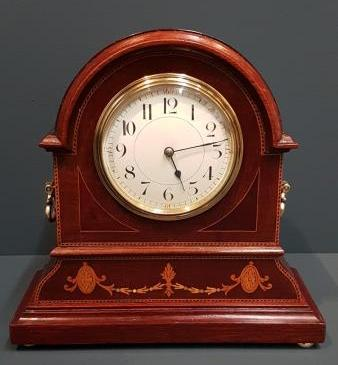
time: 5:13
